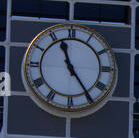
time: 11:24
